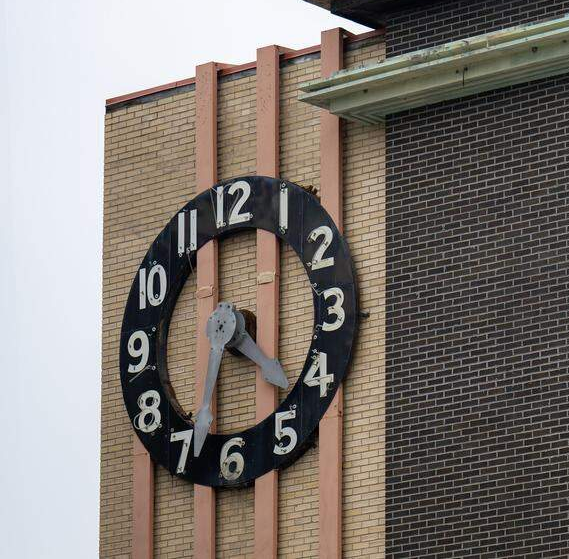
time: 4:33
